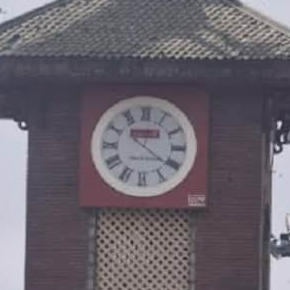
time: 2:20
